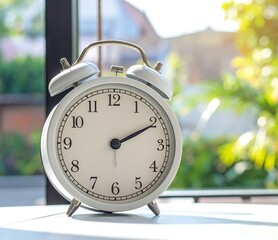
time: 2:10
